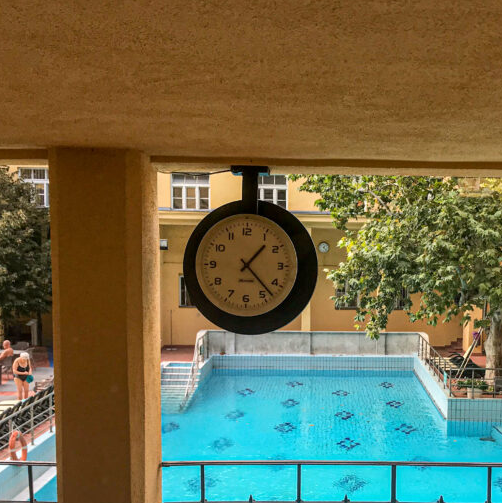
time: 1:22
